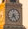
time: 7:24
